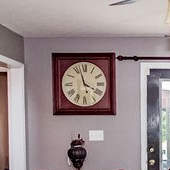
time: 3:57
